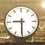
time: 9:30
